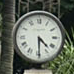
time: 4:29
